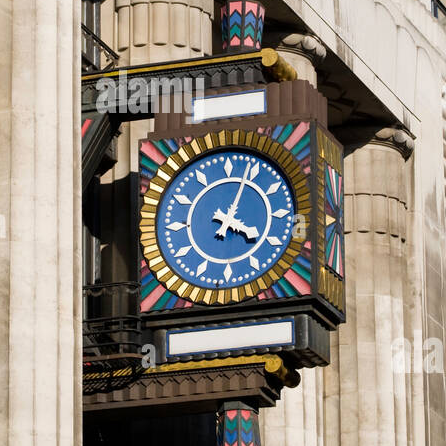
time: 4:04
